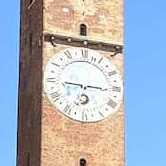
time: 9:15
